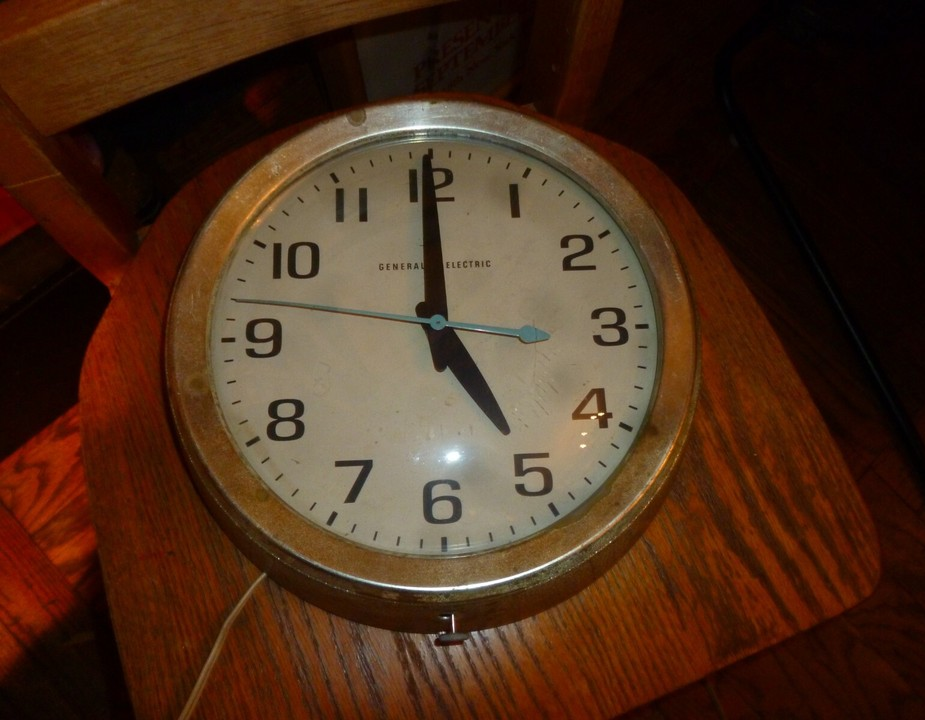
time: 4:59
